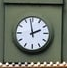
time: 1:58
